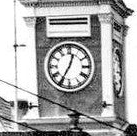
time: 12:34
